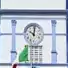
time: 10:00
